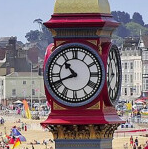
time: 10:41
